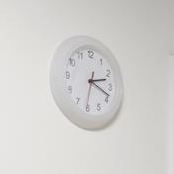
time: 2:18
